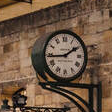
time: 1:44
